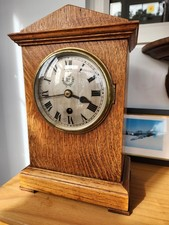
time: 3:43
